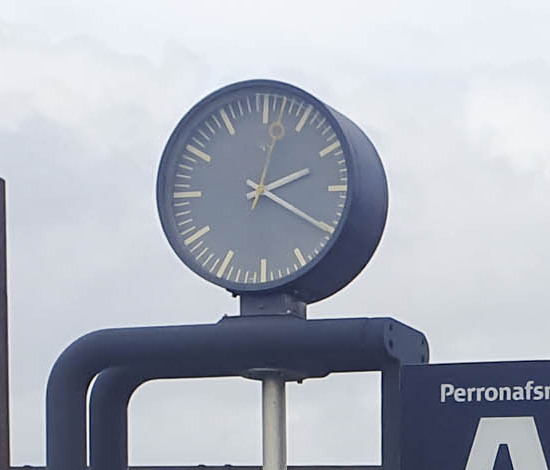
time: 2:20
